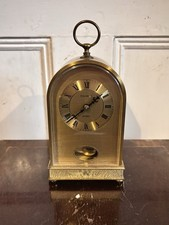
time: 8:09
